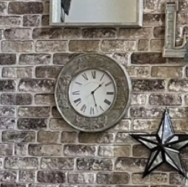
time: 1:27
